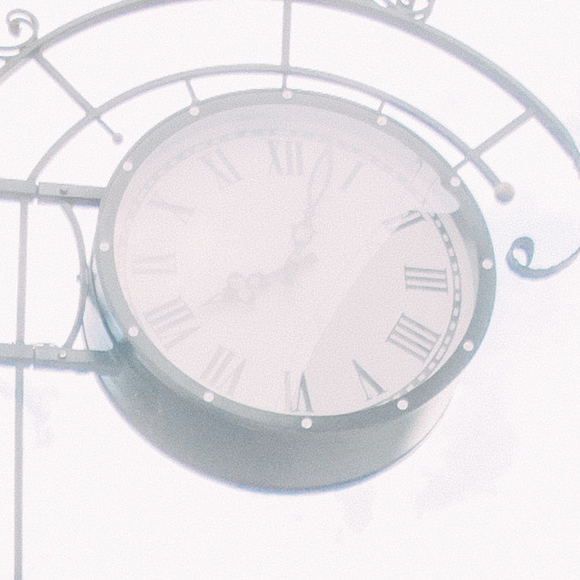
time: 8:02
